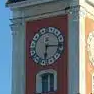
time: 6:15
